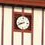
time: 8:41
